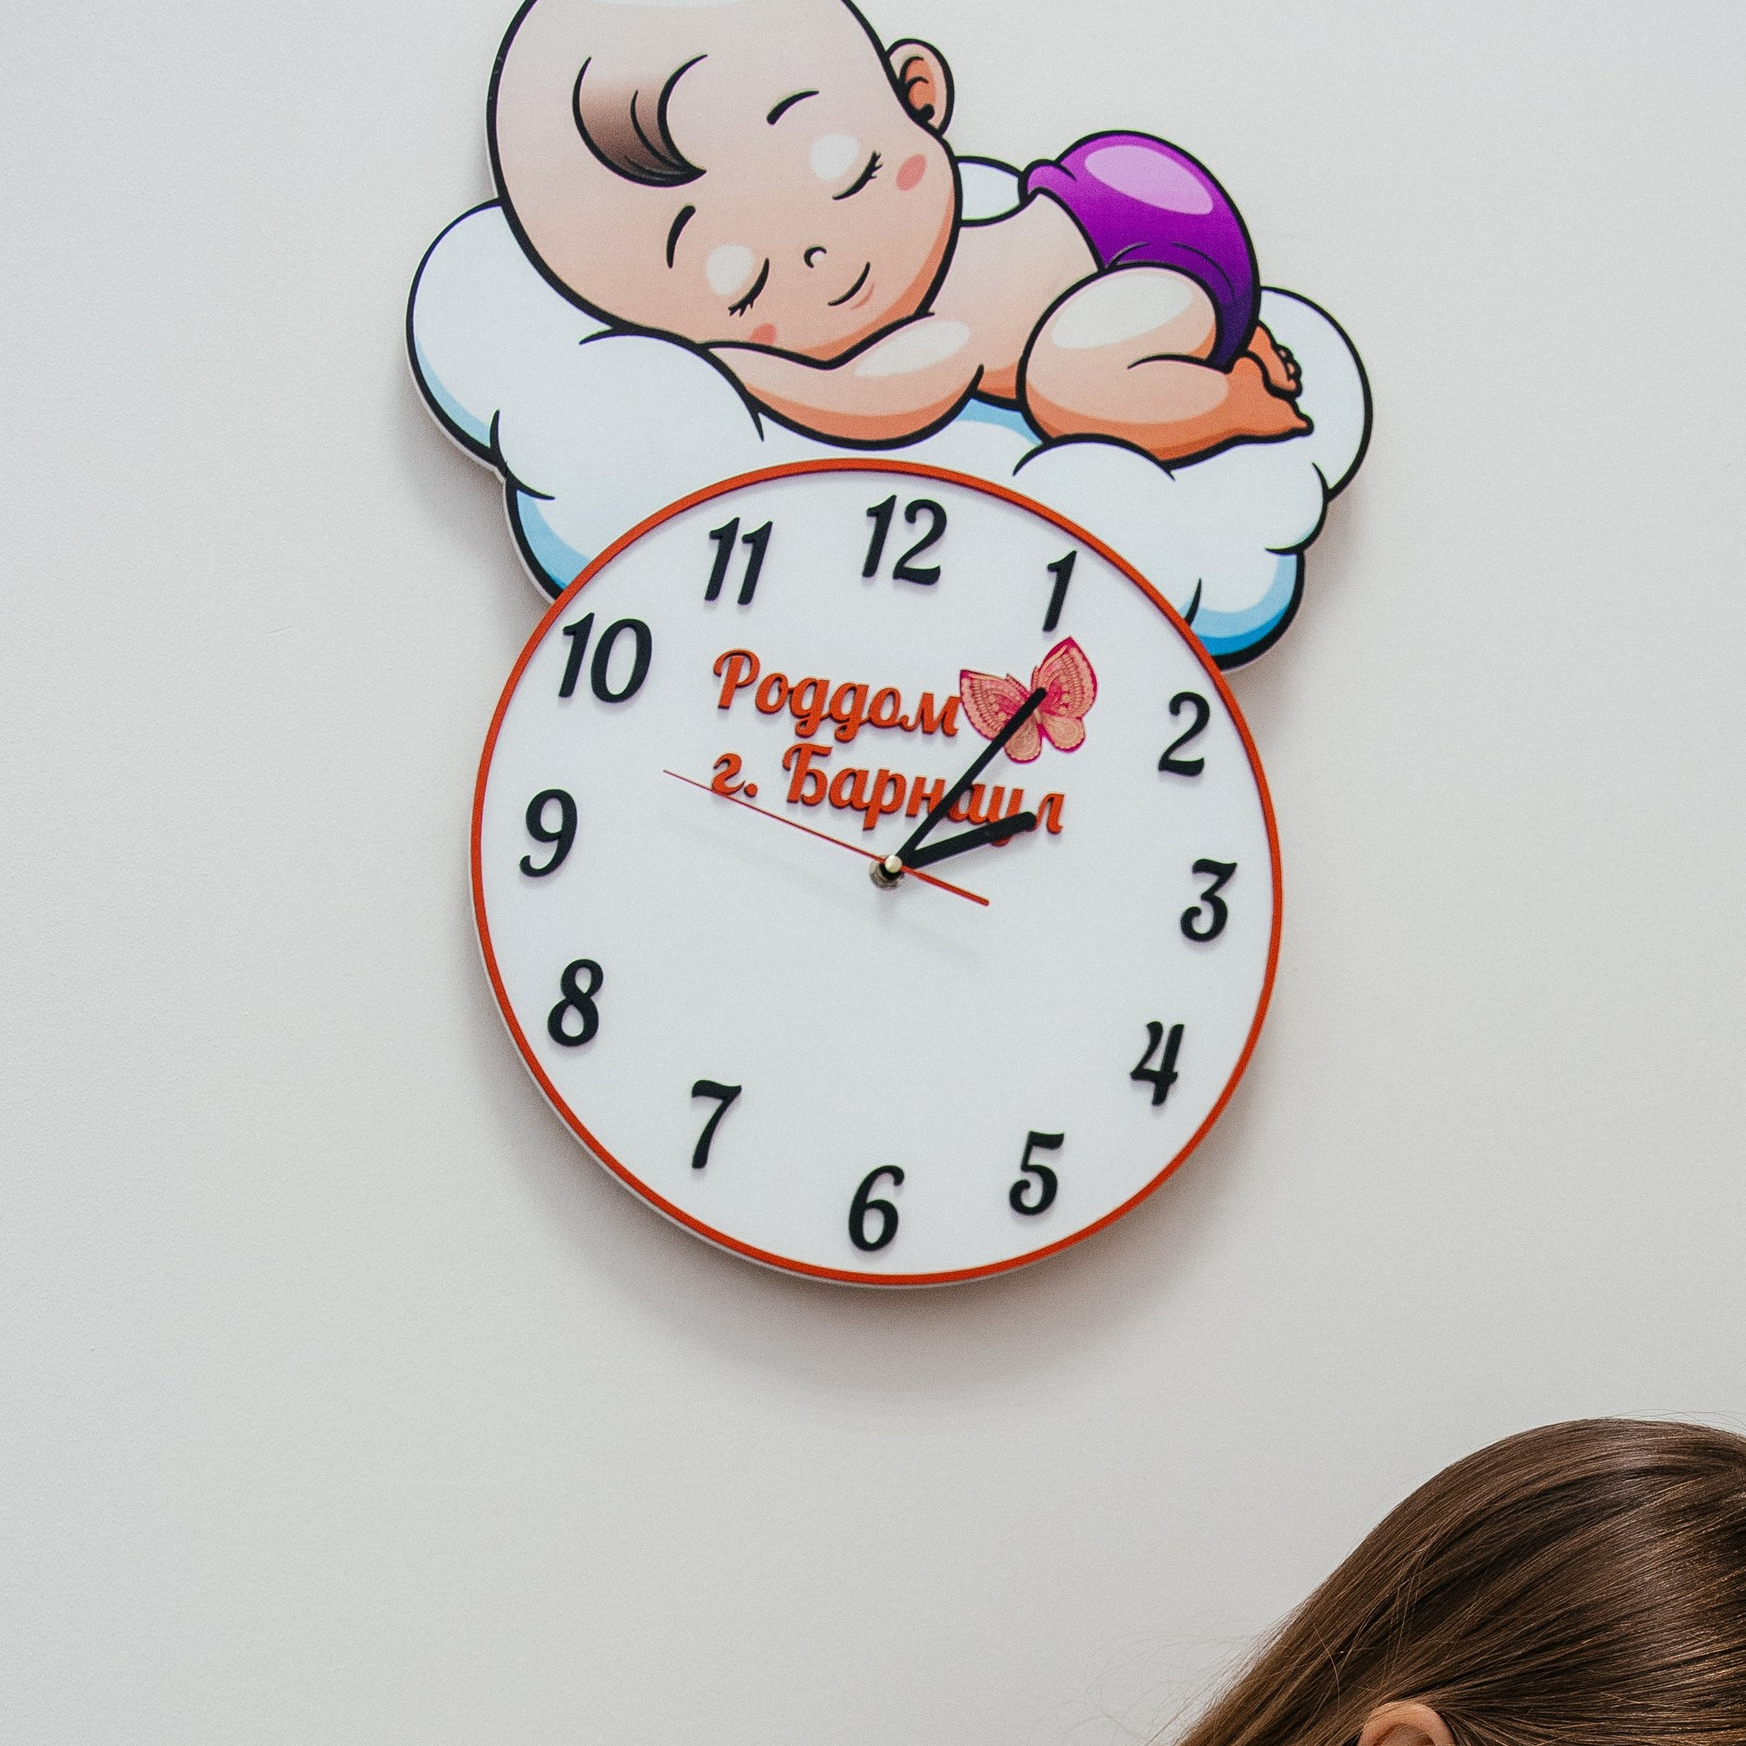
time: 2:06
